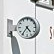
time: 4:35
